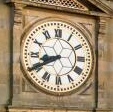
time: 8:40
